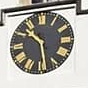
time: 10:28
